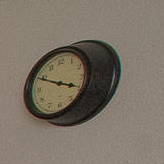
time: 3:49
